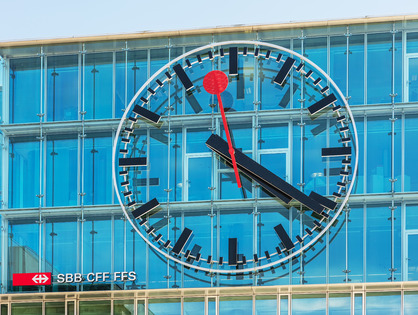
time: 4:20
